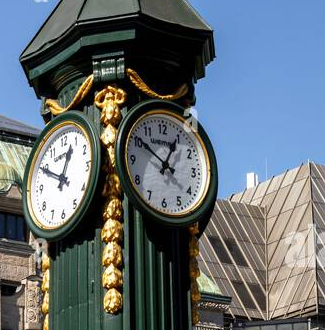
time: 12:50
